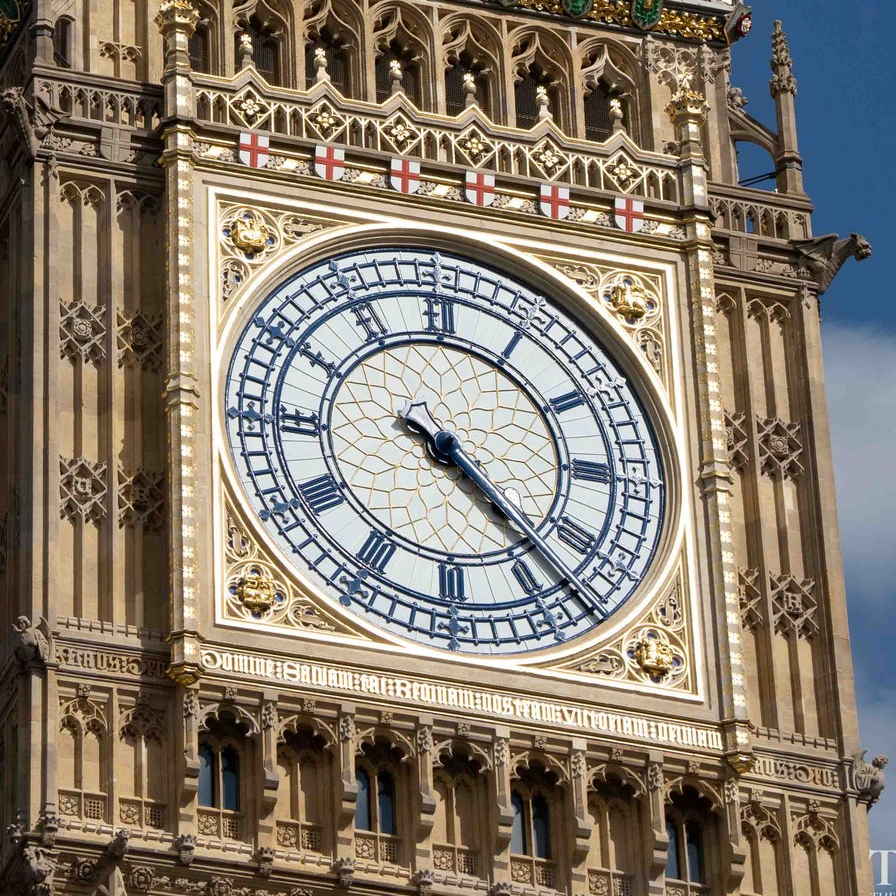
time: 4:22
